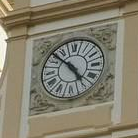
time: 4:52
